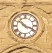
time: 10:18
